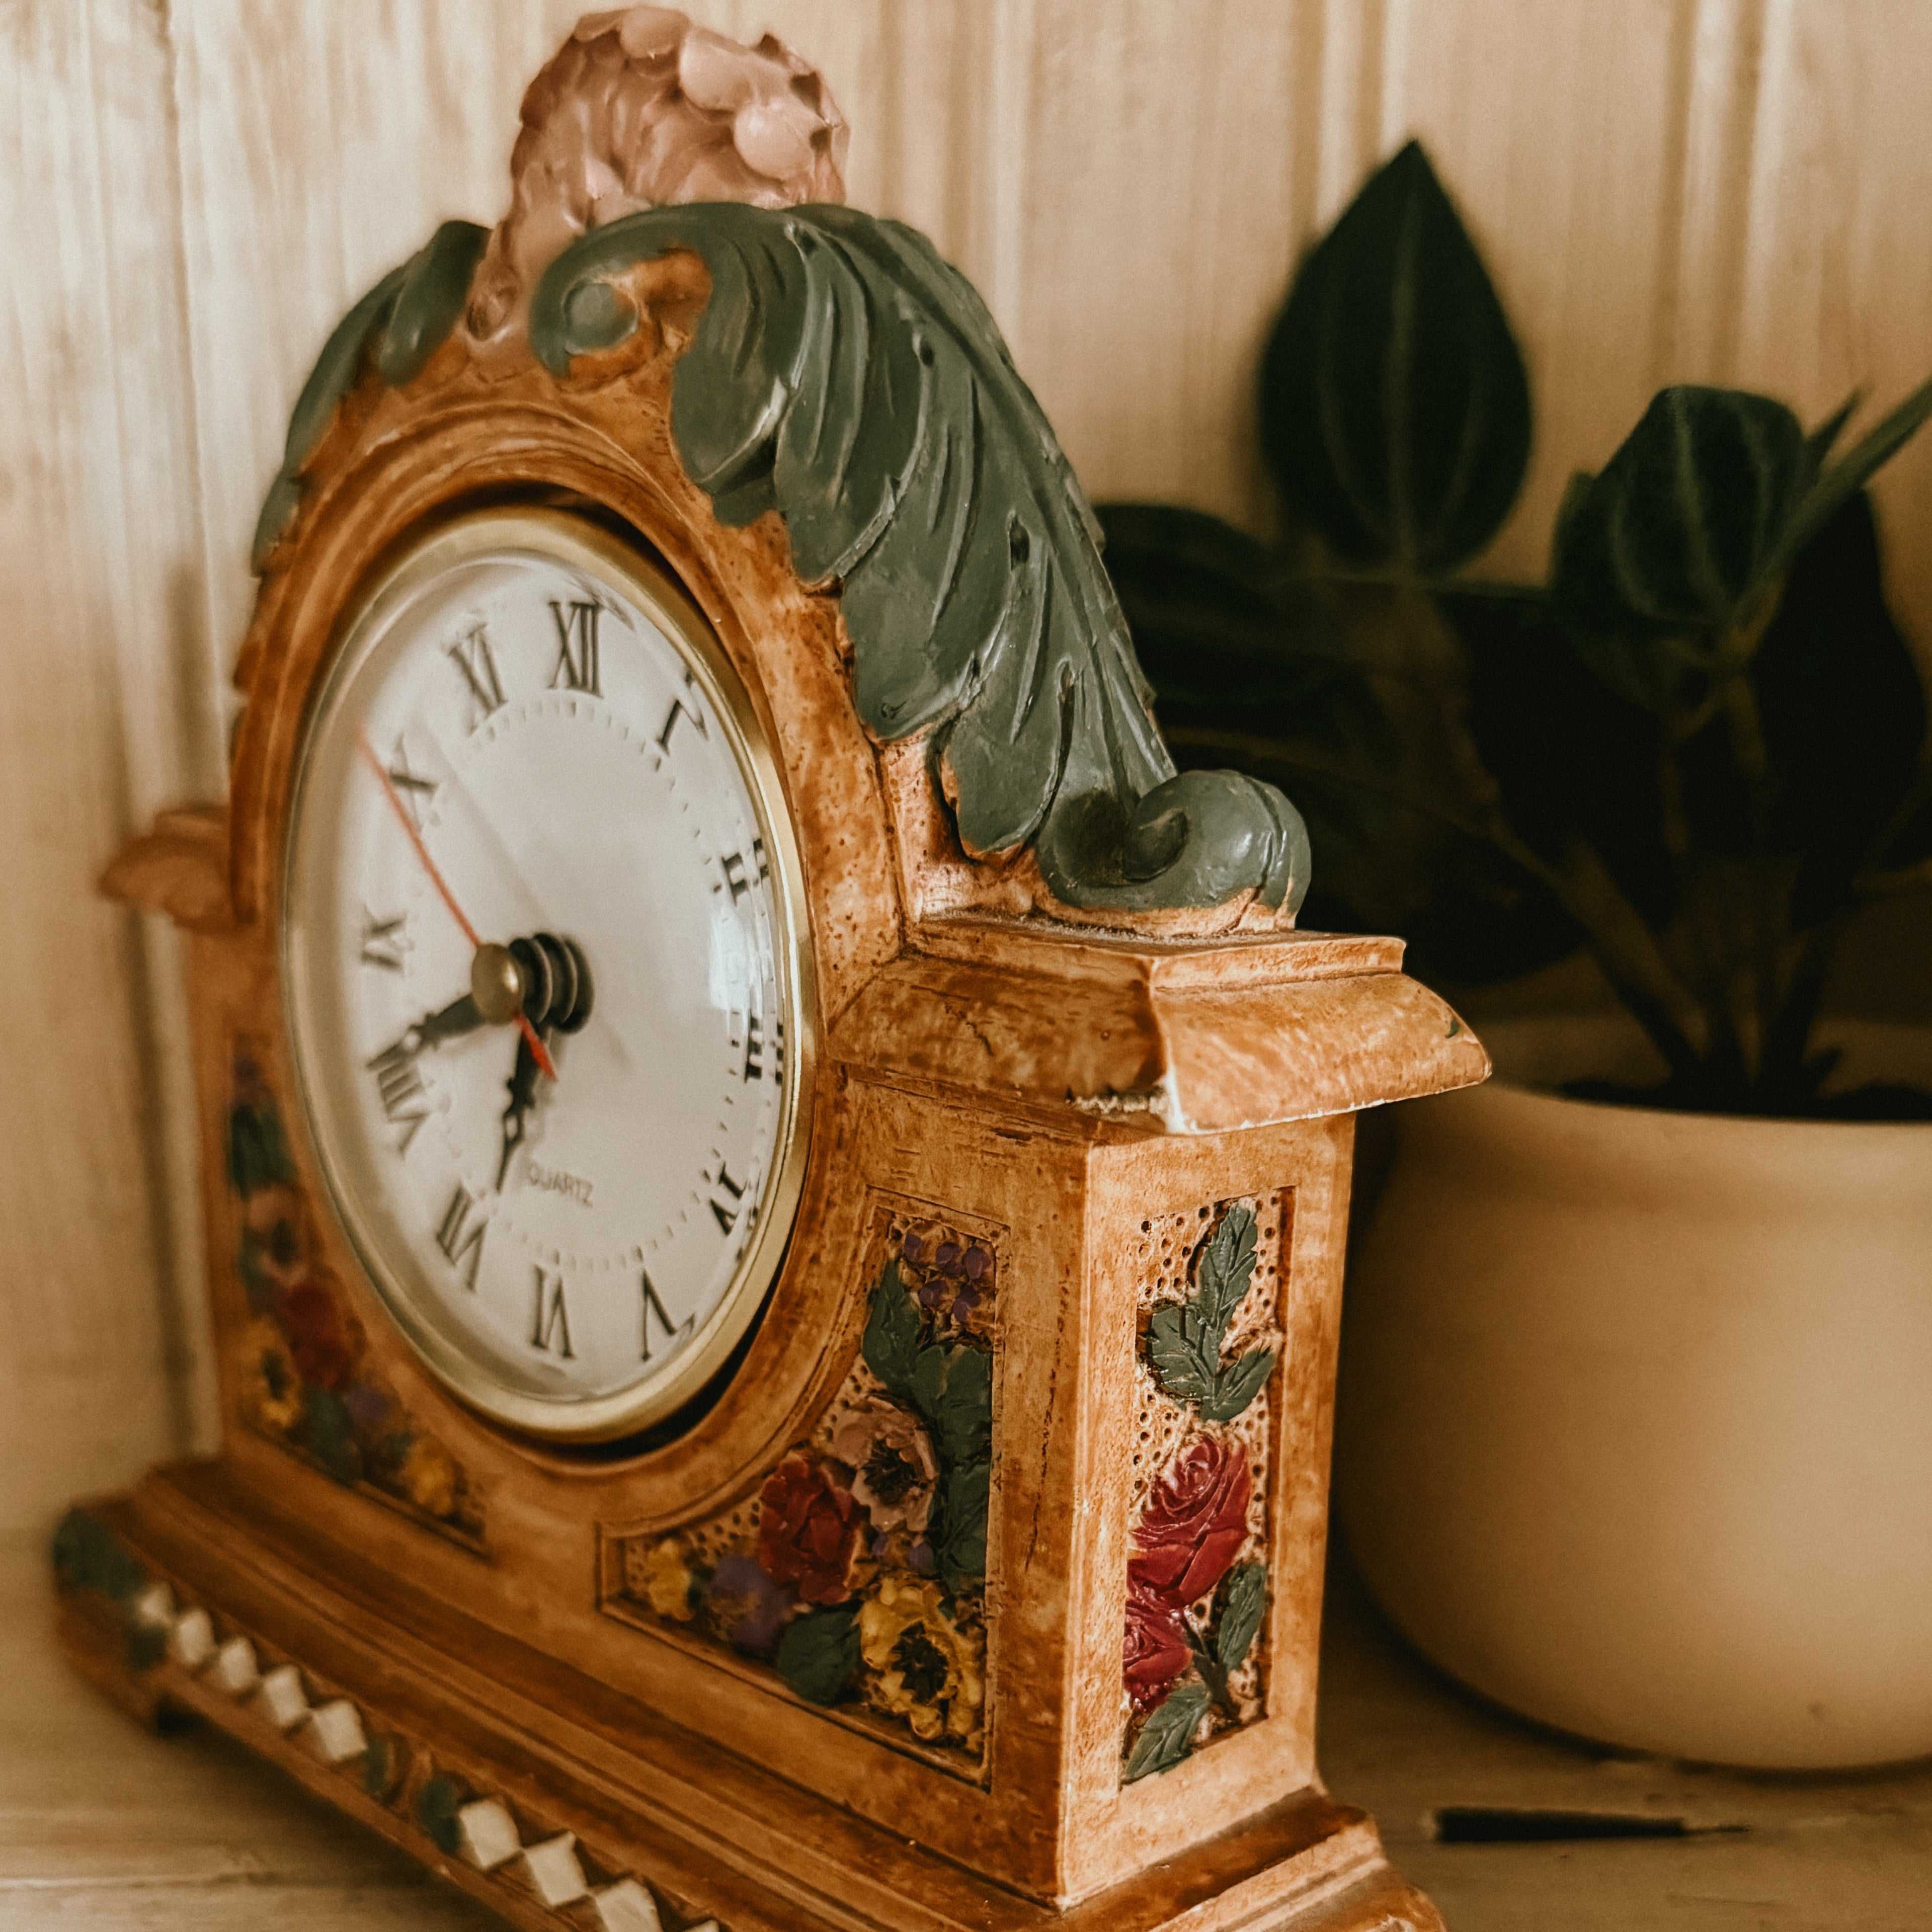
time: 6:41
